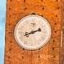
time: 8:11
